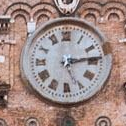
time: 5:13
